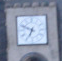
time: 6:48
